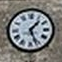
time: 1:26
